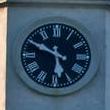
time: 5:49
